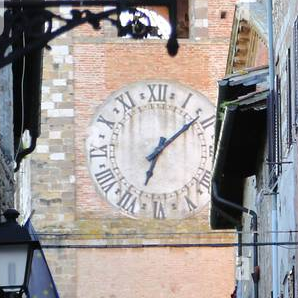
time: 7:08
